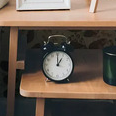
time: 1:00
